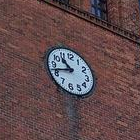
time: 10:41
